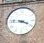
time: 3:46
